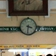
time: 3:31
